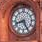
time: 8:25
